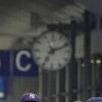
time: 7:11
